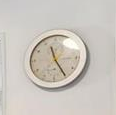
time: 11:24
